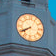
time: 7:40
